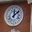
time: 12:07
